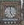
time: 5:00
